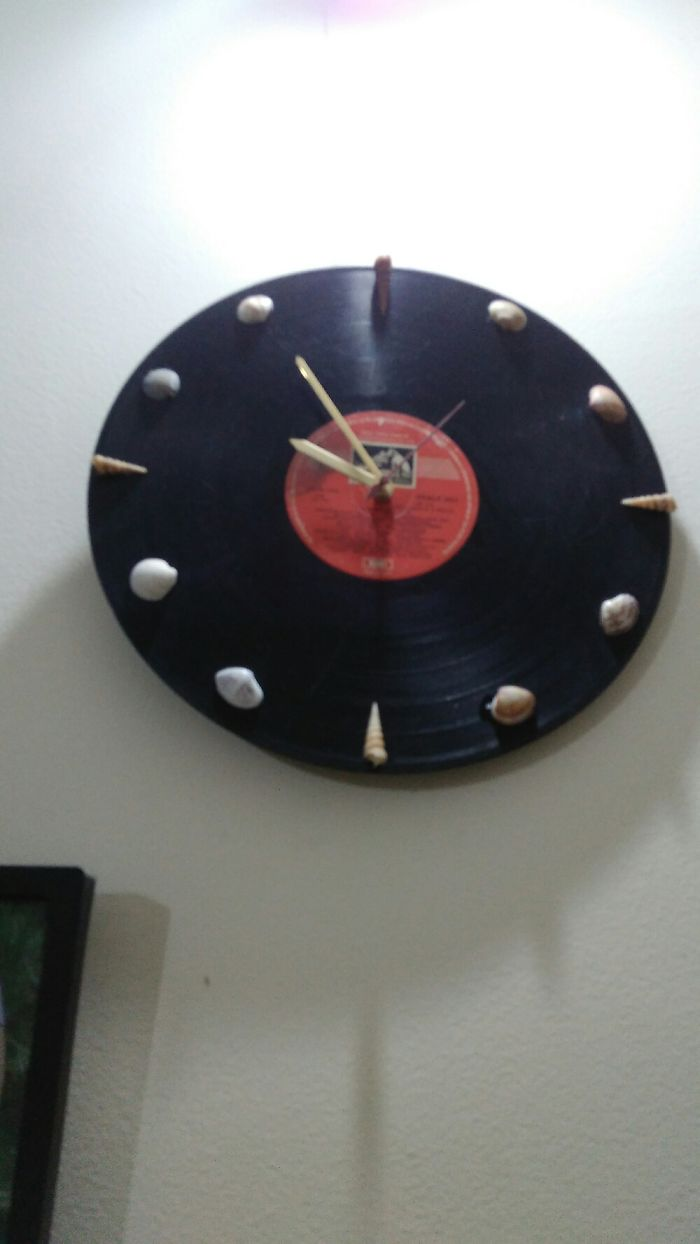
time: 9:55
